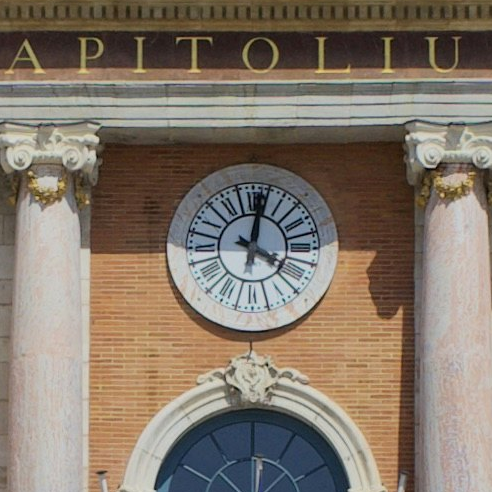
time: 4:01
